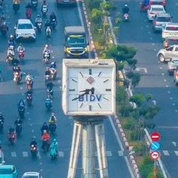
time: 8:39
